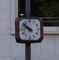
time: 9:51
